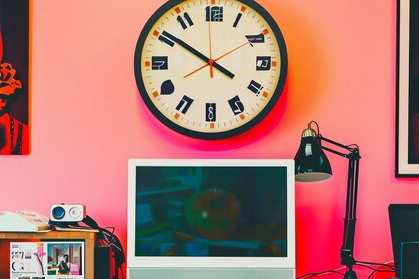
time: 3:50
